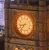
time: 8:37
